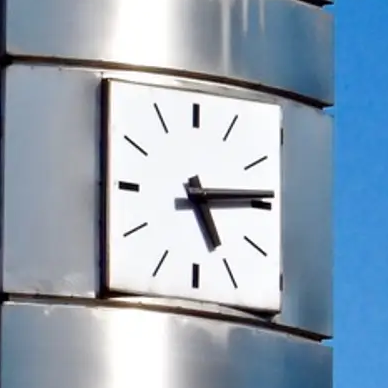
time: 5:14
